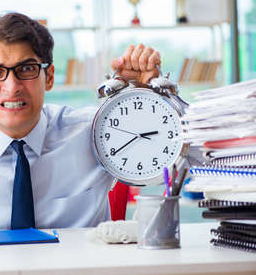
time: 2:39
